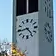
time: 4:43
